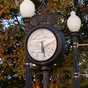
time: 6:28
